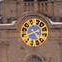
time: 4:40
